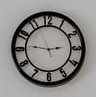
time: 2:46
